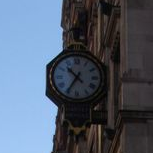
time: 10:35
